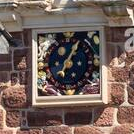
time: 7:04
